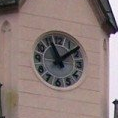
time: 11:08
